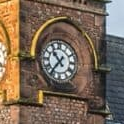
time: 10:36
